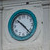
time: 10:22
